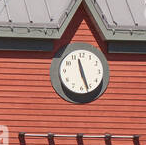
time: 11:26
